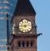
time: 9:12
